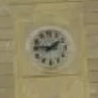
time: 1:46
